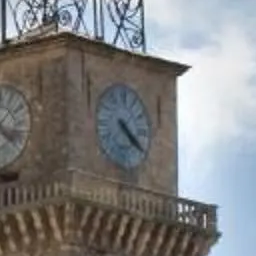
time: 4:21
